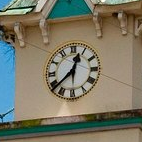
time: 12:38
